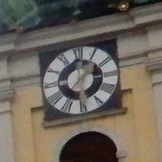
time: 1:37
